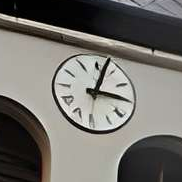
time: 3:02
